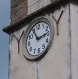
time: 2:55
